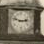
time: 2:48
